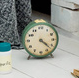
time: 4:22
